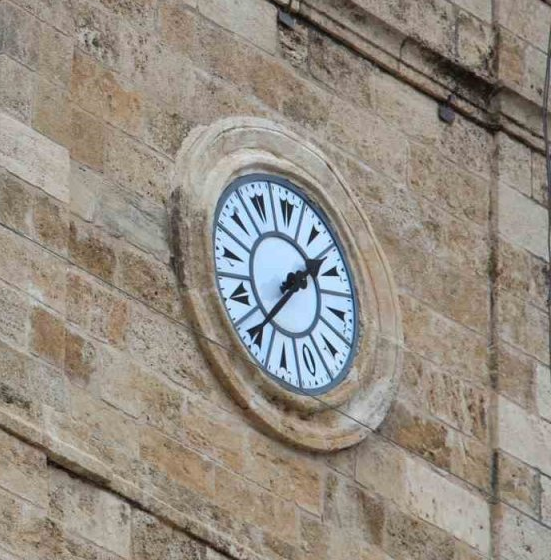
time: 1:36
